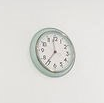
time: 11:36
